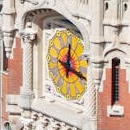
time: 12:18
